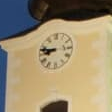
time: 8:47
